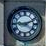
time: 9:11
